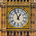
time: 12:56
